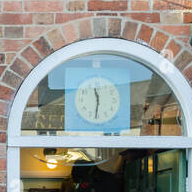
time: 11:31
